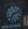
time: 7:12
